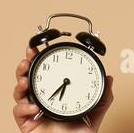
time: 6:36
